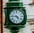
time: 4:46
